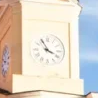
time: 3:55
